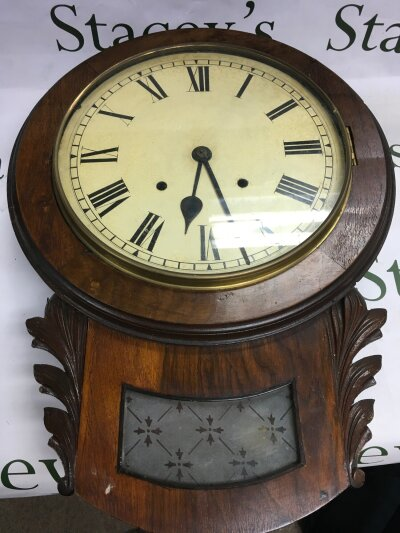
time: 6:26
